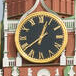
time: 12:38
